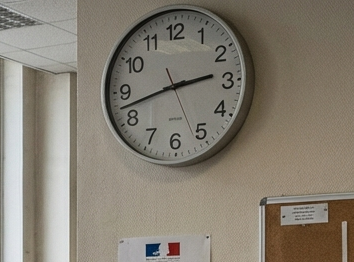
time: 2:42
